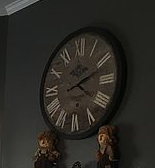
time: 12:11
